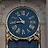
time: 10:43
